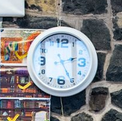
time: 2:25
